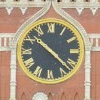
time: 10:22
